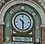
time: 10:30
